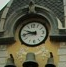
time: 9:43
